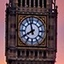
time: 7:57
